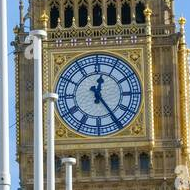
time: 12:24
